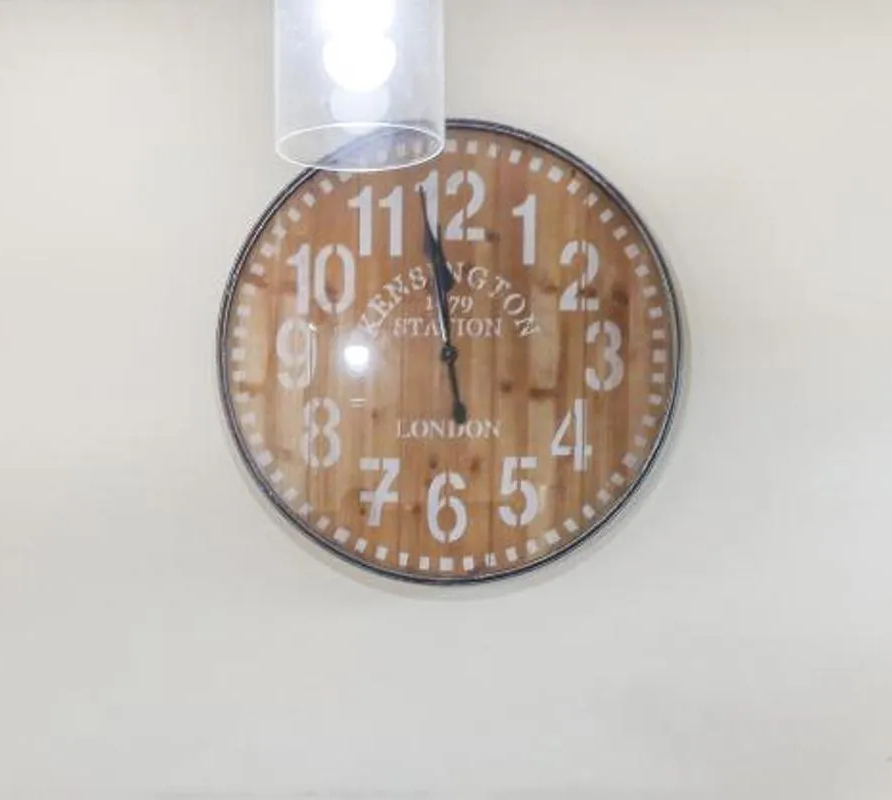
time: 11:58
